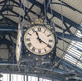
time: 11:20
